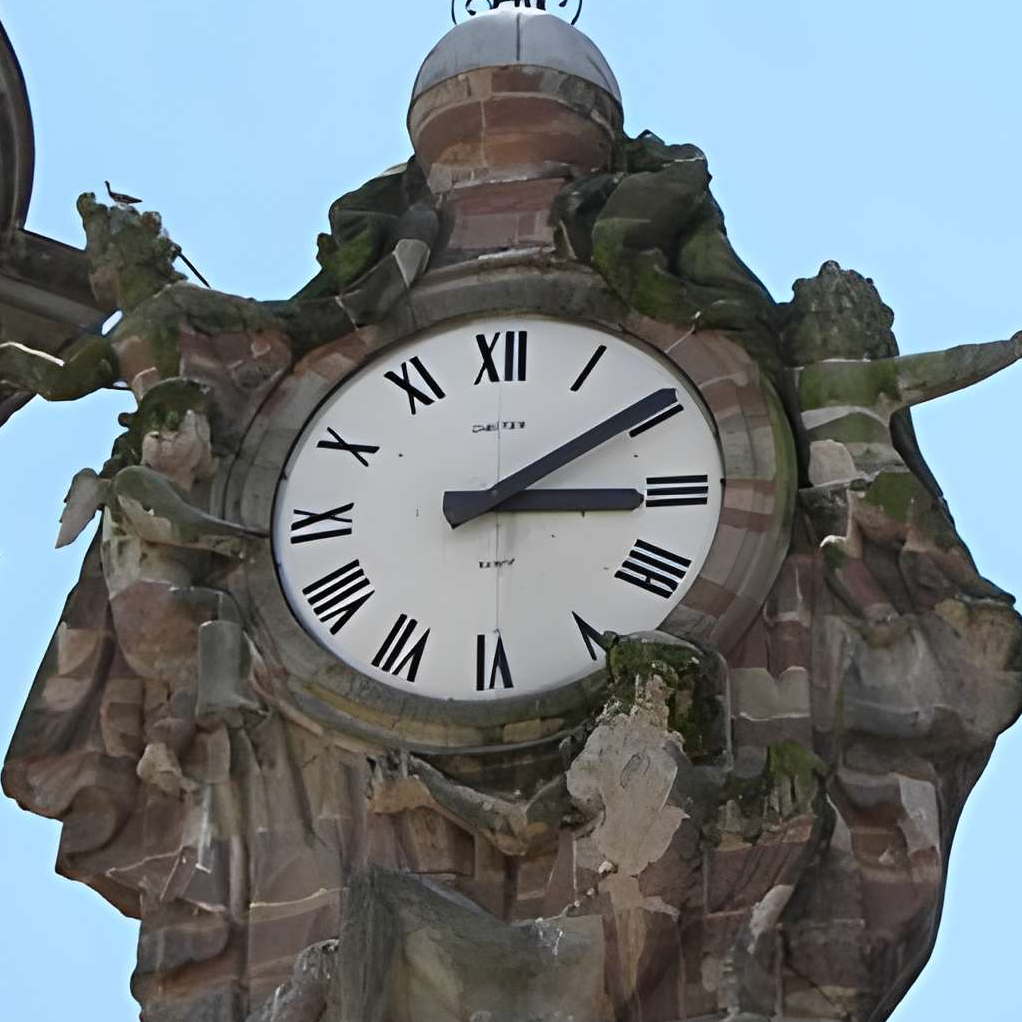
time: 3:09
